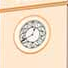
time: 12:40
